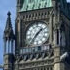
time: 1:36
